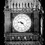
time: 9:22
